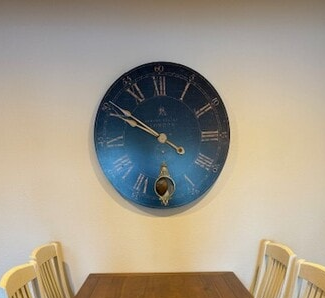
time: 9:50
